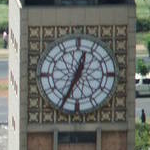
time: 12:34
